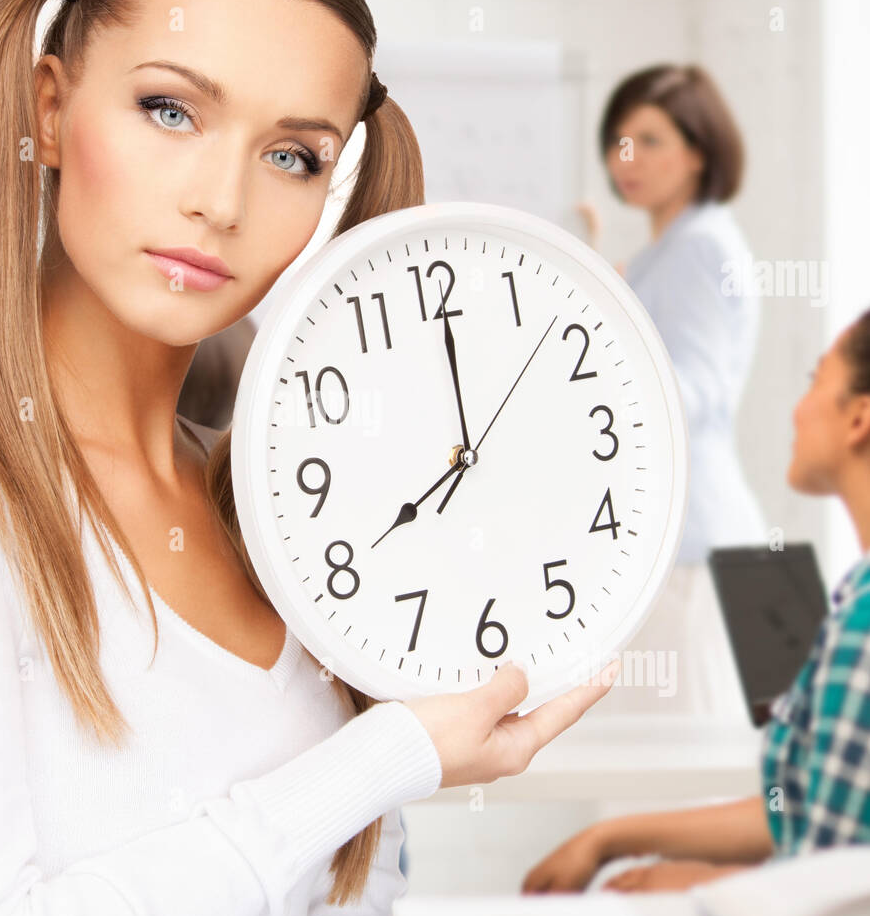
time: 8:00
